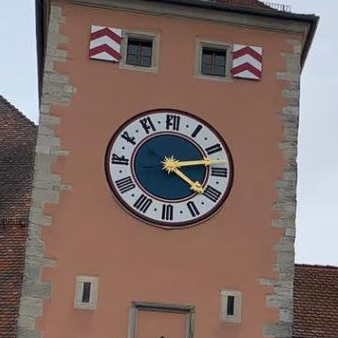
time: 4:12
